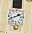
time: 1:41
